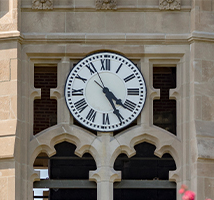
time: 4:25
